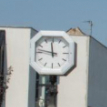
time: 11:46
